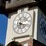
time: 6:17
